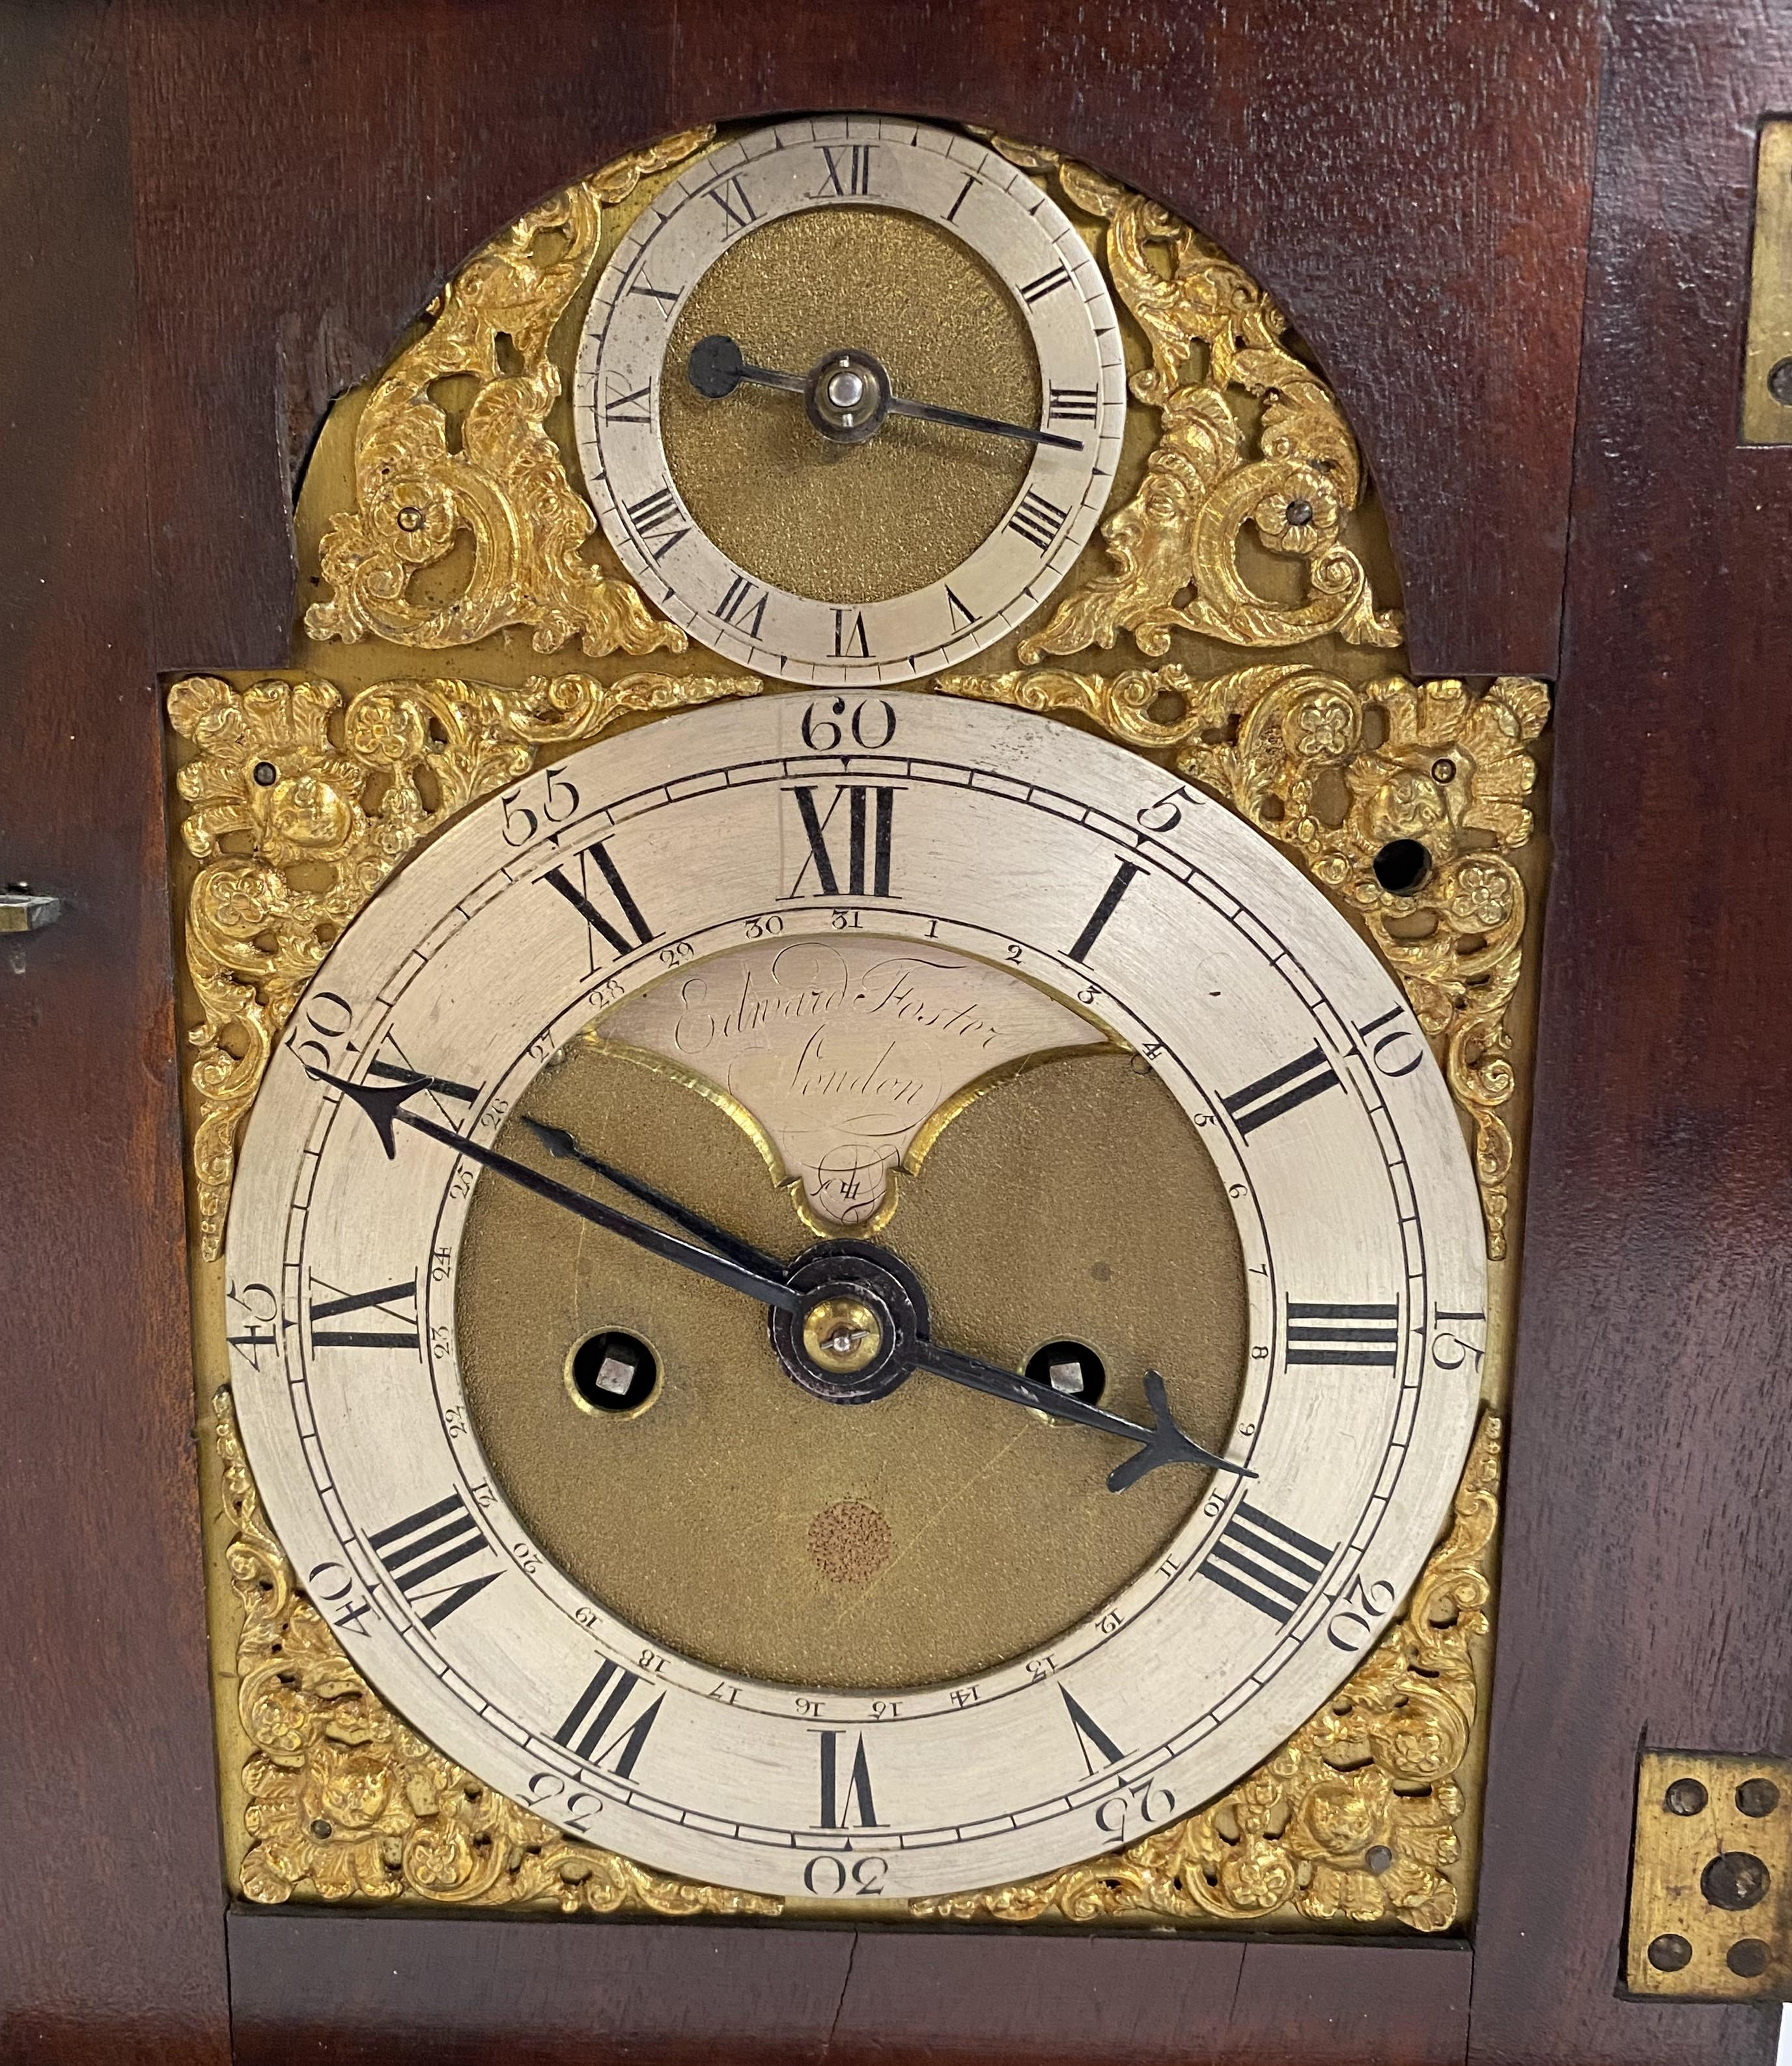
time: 3:49
